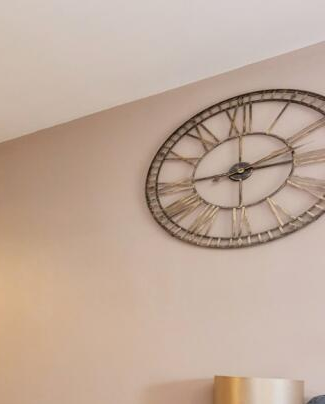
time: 2:44
